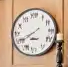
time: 7:40
